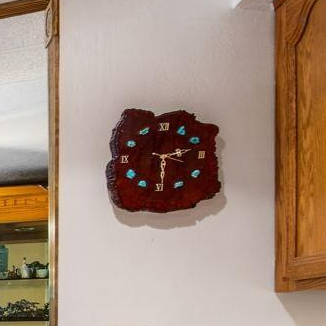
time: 2:29
